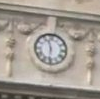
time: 11:31
